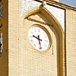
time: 9:28
